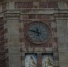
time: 11:47
